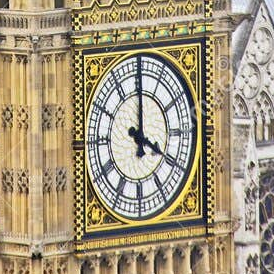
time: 4:00
